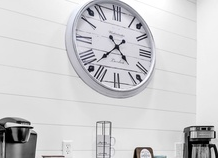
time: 4:37
